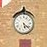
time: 5:21
